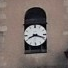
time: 8:18
